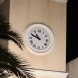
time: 10:48
